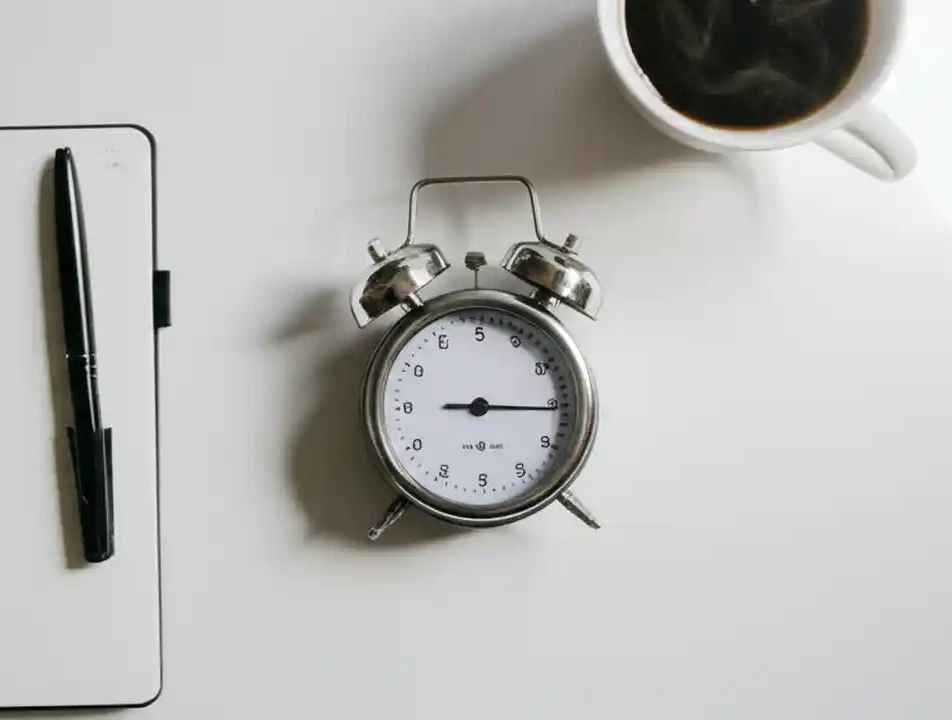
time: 9:15
